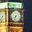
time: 7:32
